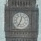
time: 12:33
